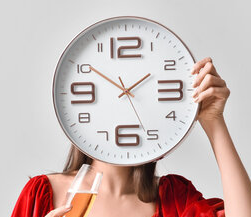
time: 1:50
